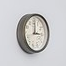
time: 3:00
